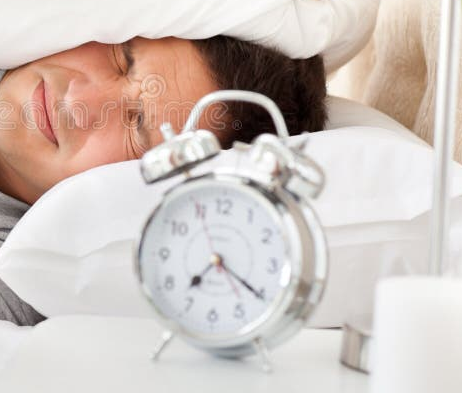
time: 7:20
